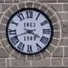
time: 3:41
